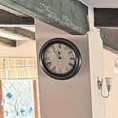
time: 11:53
